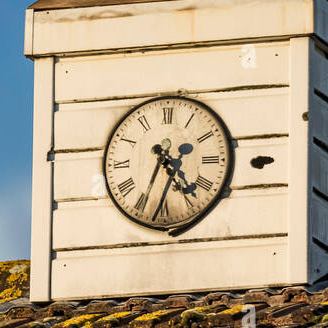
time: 4:34
